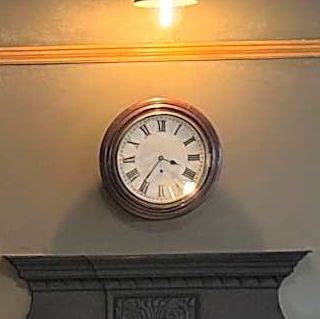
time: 3:35
